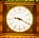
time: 9:19
